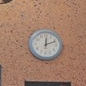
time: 12:11
